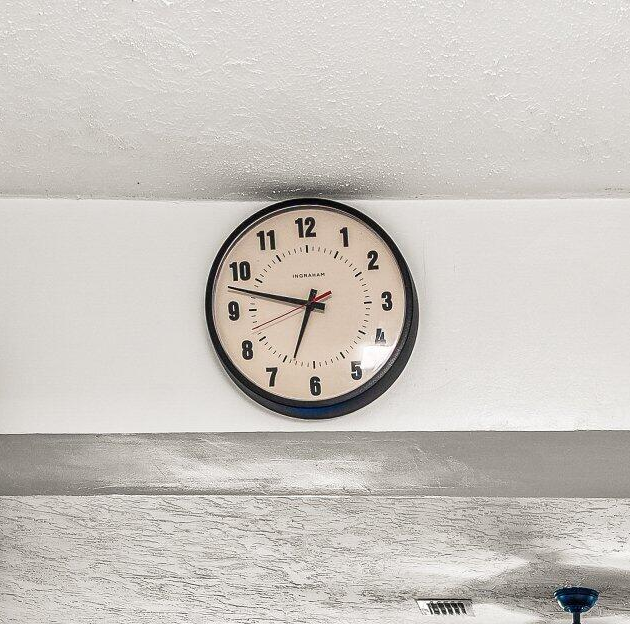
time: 6:47
